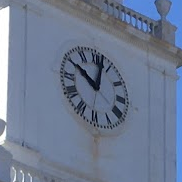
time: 10:02
